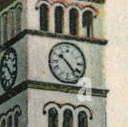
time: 10:23
